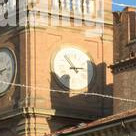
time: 2:53
